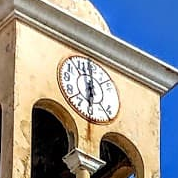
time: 5:59
